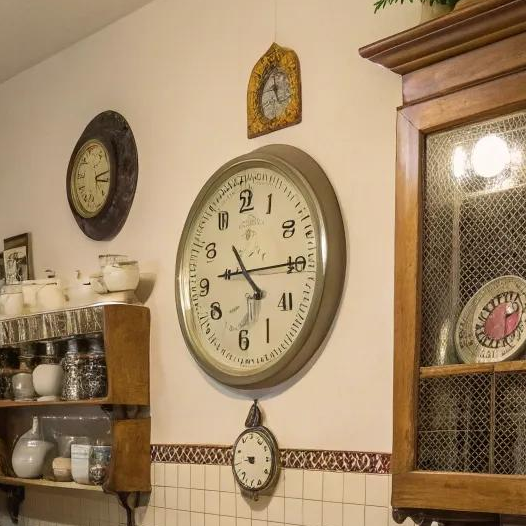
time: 4:14
